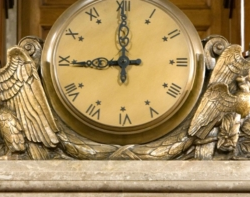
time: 8:59
